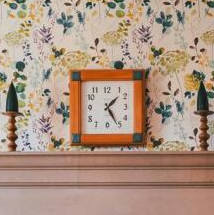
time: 1:25
